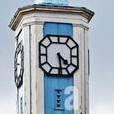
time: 4:28
